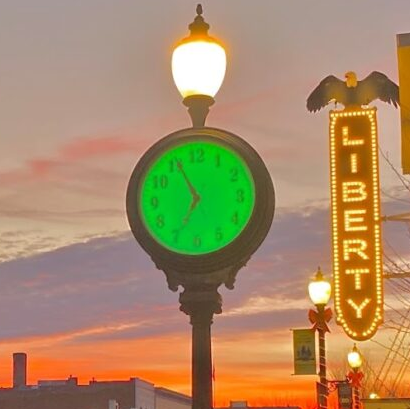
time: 6:56
